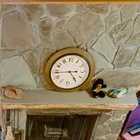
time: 4:44
